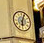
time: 6:03
